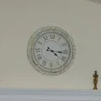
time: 4:15
